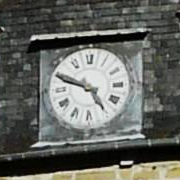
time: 4:48
